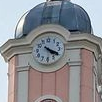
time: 4:19
